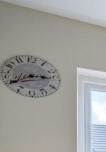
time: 2:40
